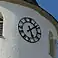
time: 5:08
